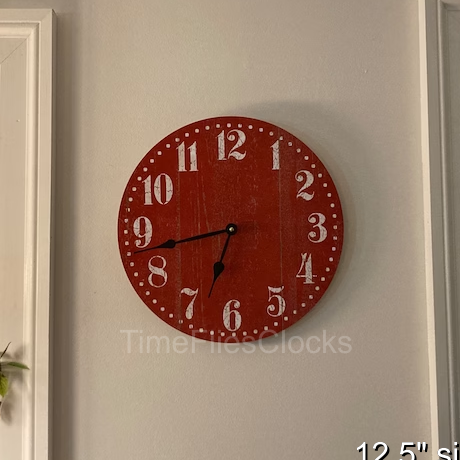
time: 6:42
